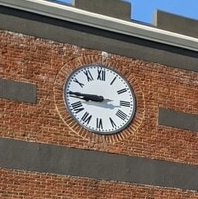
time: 8:45
